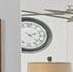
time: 2:21
